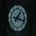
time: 1:17
